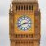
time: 2:41
